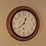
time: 12:38
